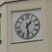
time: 1:28
